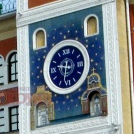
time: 9:32
